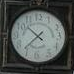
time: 10:37
